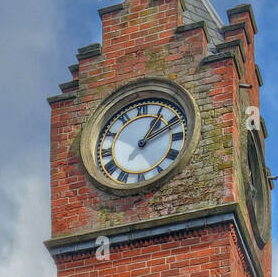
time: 1:10
